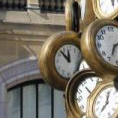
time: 11:52
